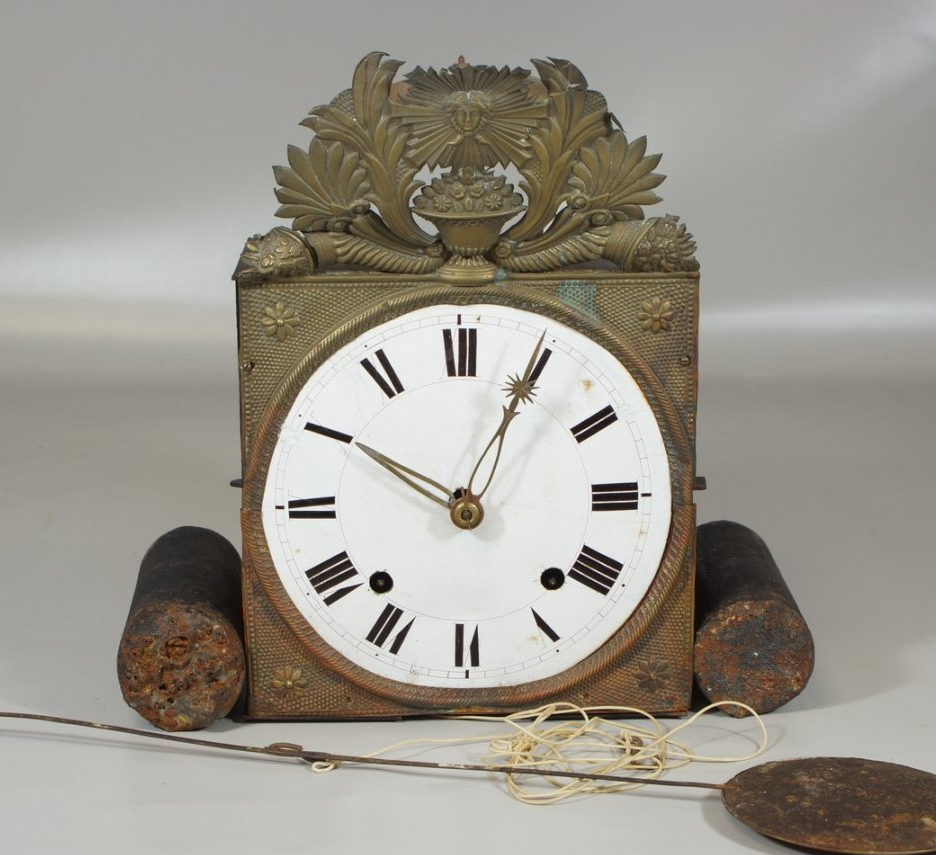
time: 10:04
